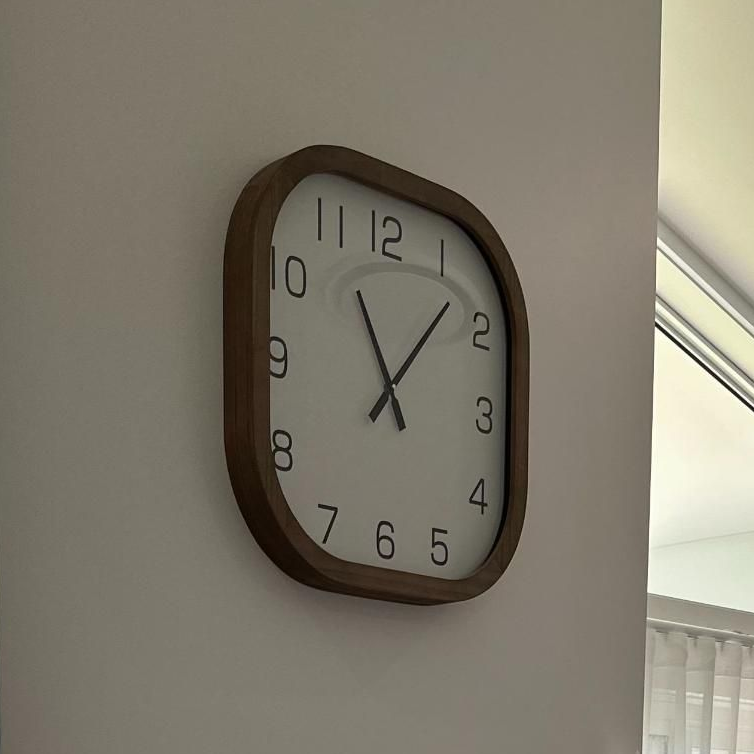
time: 11:07
